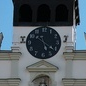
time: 5:21
